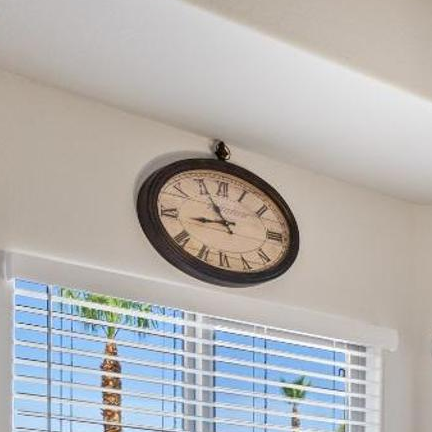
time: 8:55
